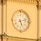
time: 5:12
